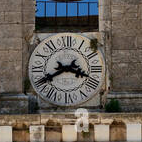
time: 3:40
